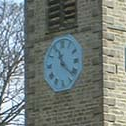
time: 11:22
